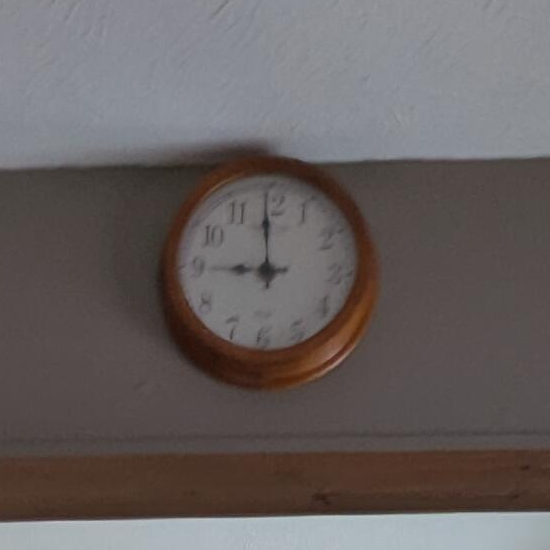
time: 8:59
